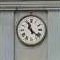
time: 11:21
